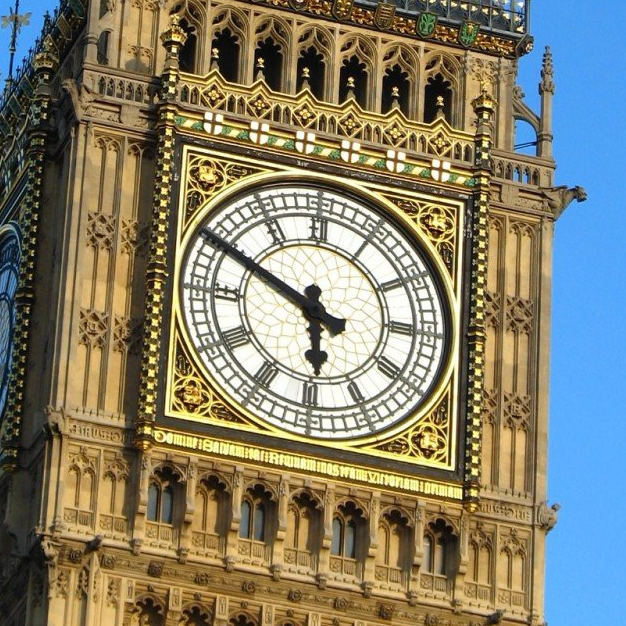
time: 5:49
